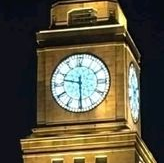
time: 9:29
